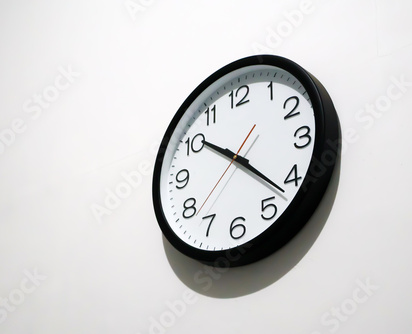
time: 10:22
